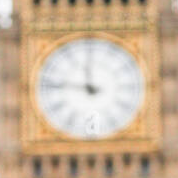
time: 11:46
